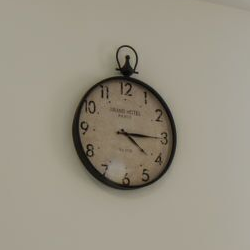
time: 4:15
